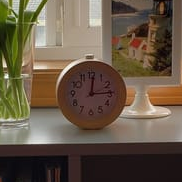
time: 12:14
